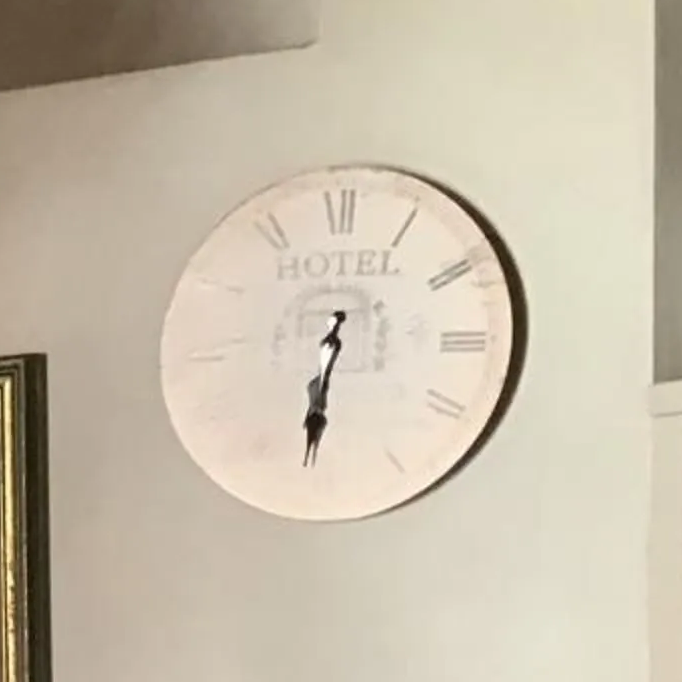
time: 6:31
